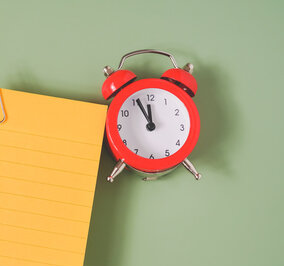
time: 11:55
